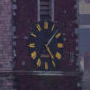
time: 5:07
